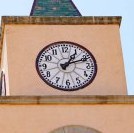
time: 1:11
